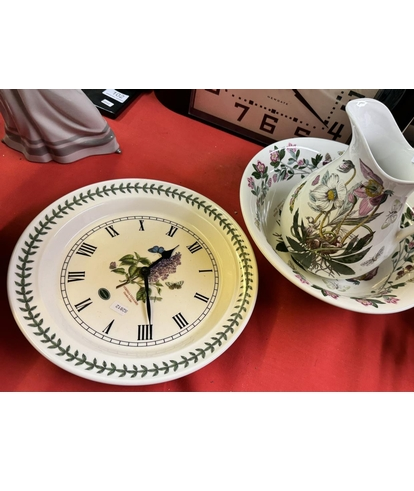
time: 1:29
